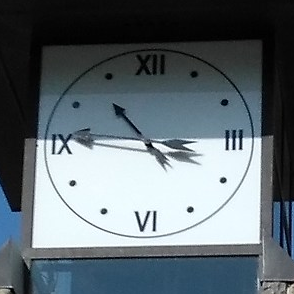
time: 10:45
